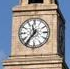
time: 11:36
